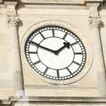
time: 1:49
